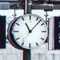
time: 11:07
